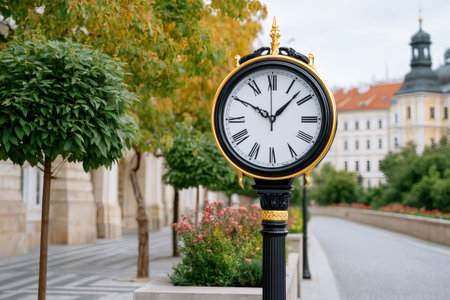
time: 10:07
